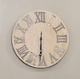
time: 6:30
